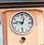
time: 12:46
